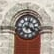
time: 4:02
